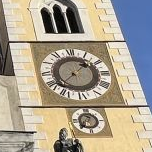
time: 1:37
